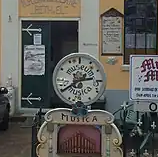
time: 2:40
